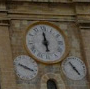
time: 5:59
